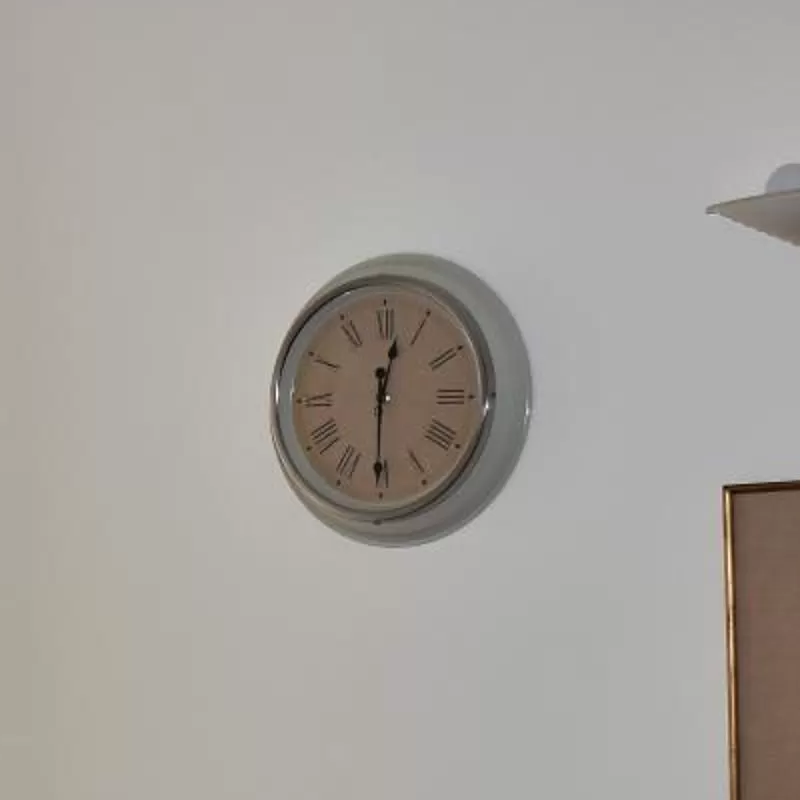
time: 12:30
